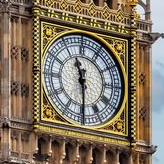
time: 11:29
